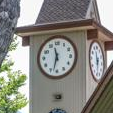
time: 11:32
